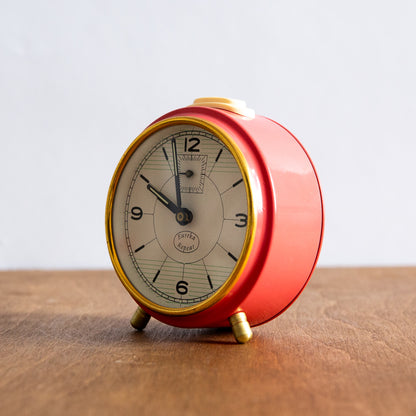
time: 9:57
